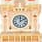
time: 12:09
